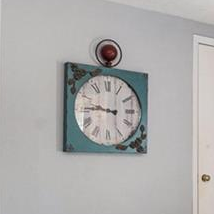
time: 9:45
